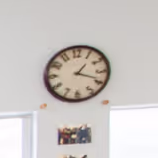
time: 1:18
